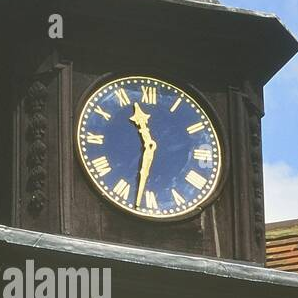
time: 11:32
